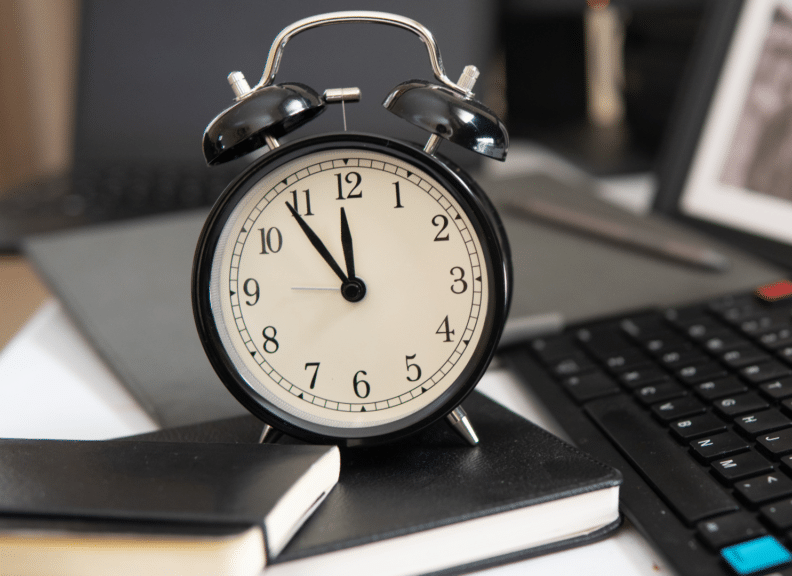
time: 11:54
